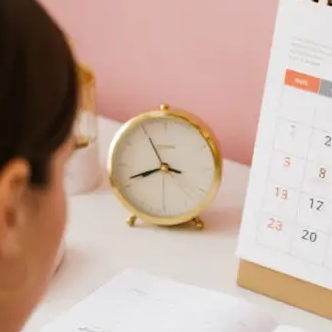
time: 3:41
